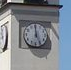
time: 4:59
